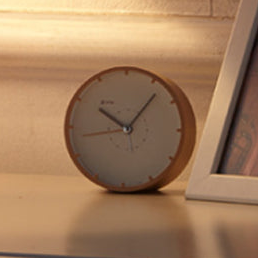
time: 10:06
